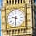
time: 9:31
